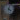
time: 4:02
